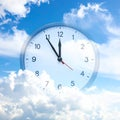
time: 11:54
